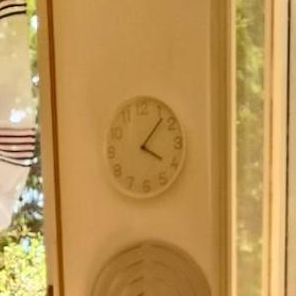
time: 4:07
